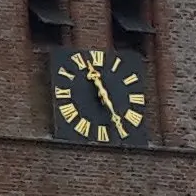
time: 11:25
